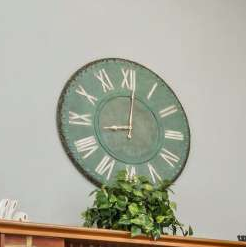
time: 9:01
